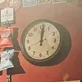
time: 12:00
